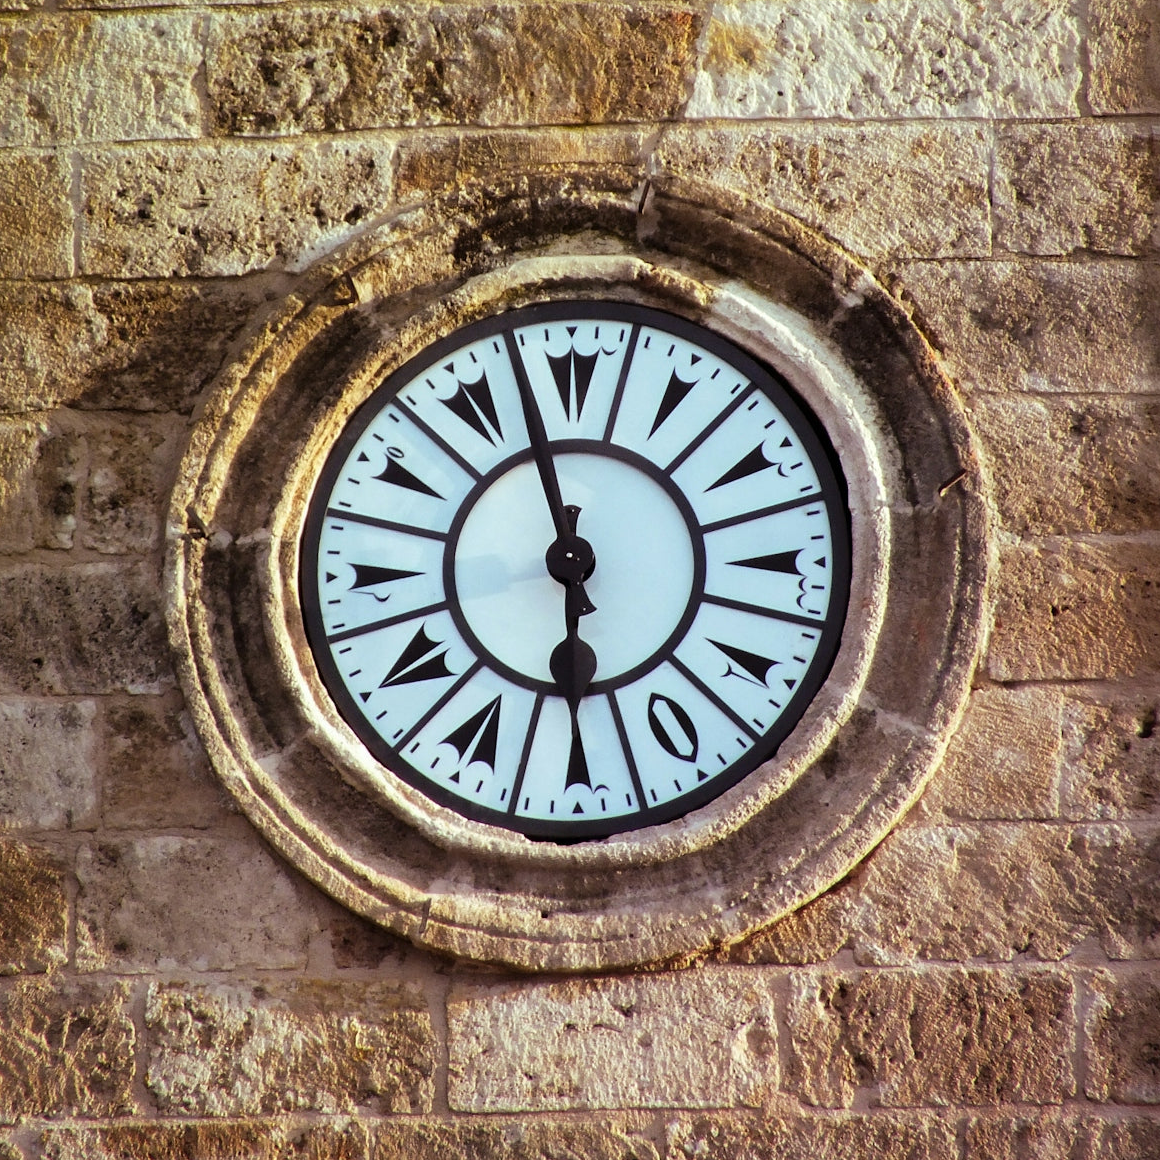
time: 5:57
